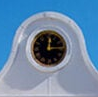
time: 12:14
